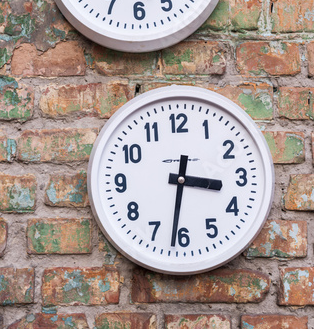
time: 3:31
